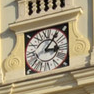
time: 3:06
